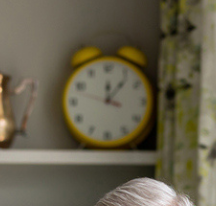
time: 12:06
